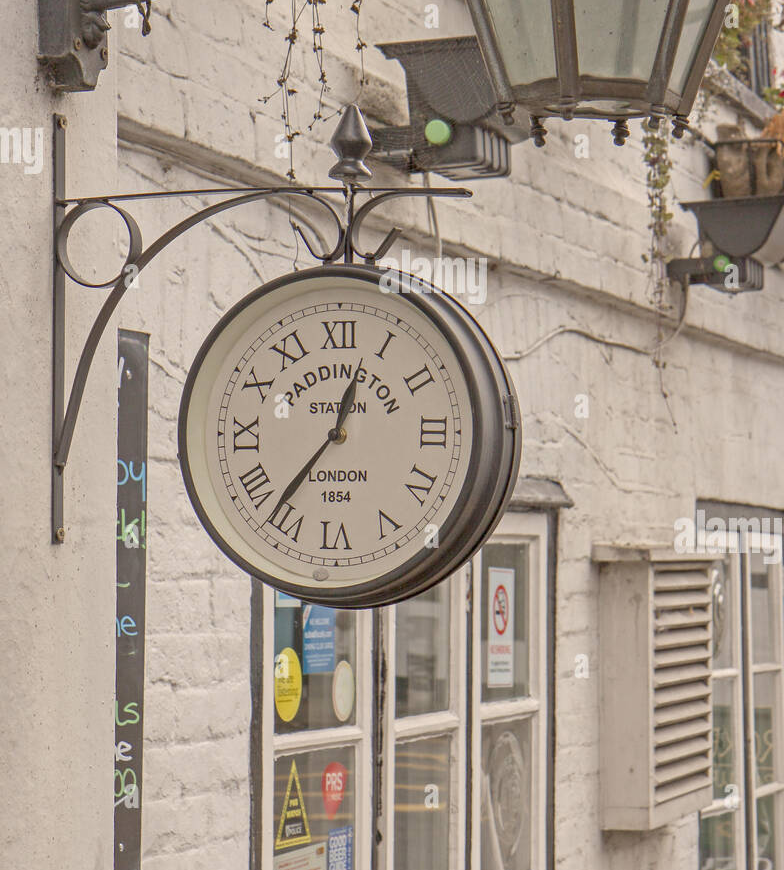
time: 12:36
